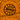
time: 9:17
